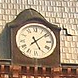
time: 5:08
